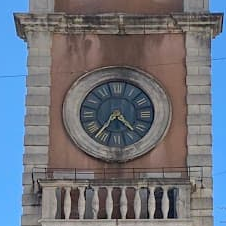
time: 4:36
